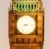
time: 8:14
